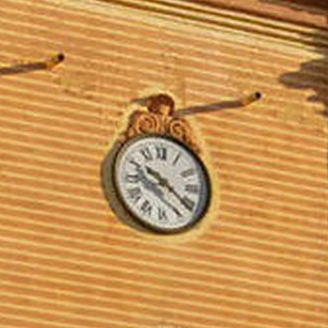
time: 10:21
